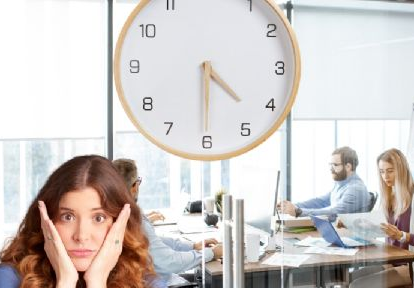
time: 4:29
